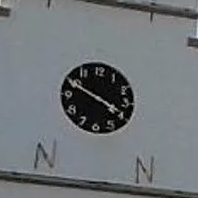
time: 3:49
